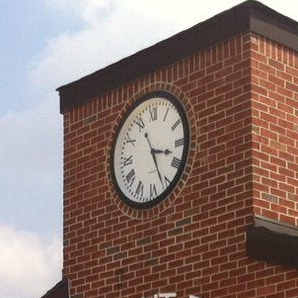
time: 3:26
